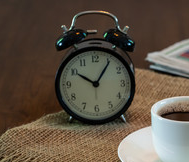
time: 10:05
